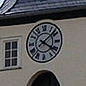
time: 4:08
